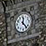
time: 12:23
